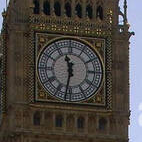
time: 11:31
